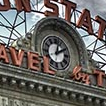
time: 2:02
